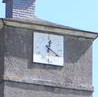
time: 12:20
